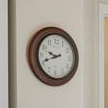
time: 9:41
